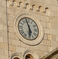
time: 5:57
